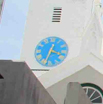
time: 3:34
